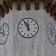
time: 11:55
